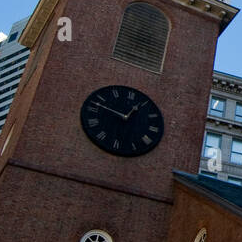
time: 12:47
